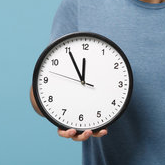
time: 11:55
